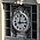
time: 12:14
